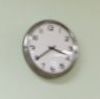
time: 3:39
